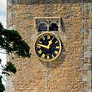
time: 12:47
